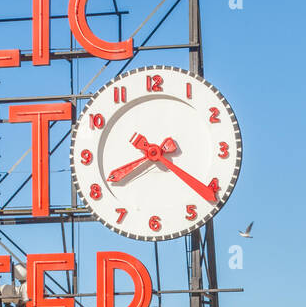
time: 8:20
